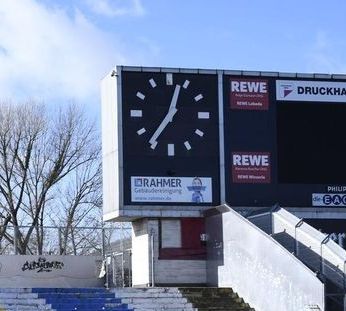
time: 12:36
